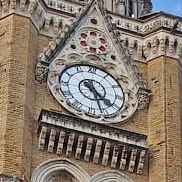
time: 4:26
